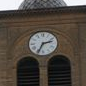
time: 2:34
